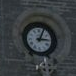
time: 3:04
